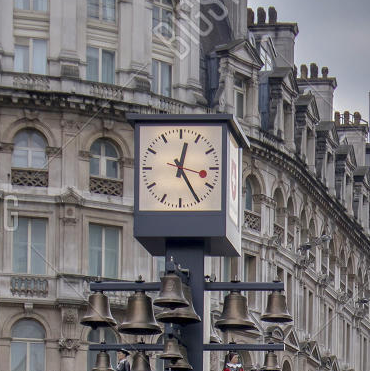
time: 12:24
